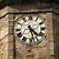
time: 4:27
